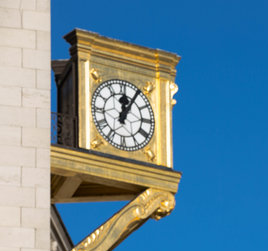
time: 12:05
